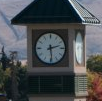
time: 2:29
